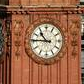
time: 10:45
